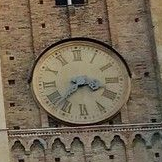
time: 3:37
